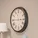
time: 2:45
